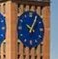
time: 10:05
